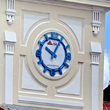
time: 10:04
